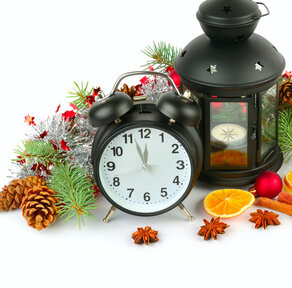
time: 11:56
